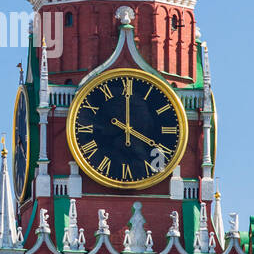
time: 4:00
